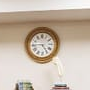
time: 4:45
